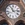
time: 11:13
